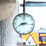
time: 8:16
